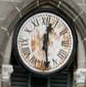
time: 12:28
